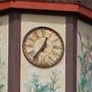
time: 12:36
